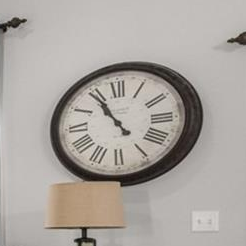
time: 10:54
